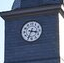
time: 3:34
